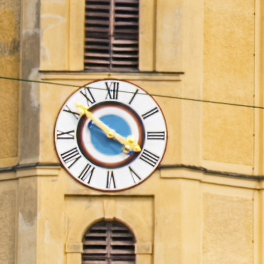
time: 10:20
